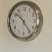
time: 10:24
